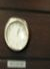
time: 12:28
